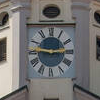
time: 2:46
